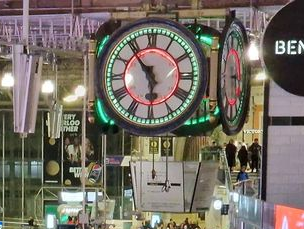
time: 5:53
